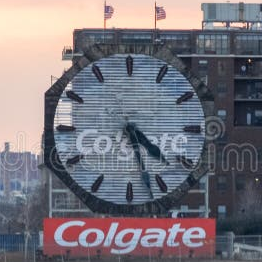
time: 4:27
